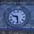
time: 9:28
